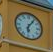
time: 6:06
